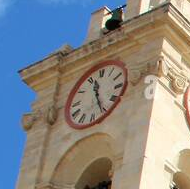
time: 11:25
